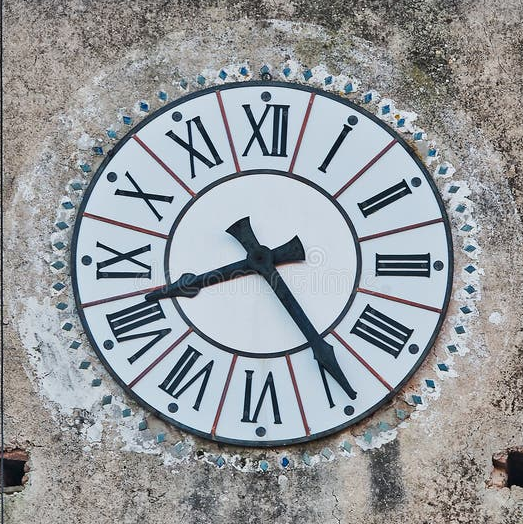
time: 8:24
